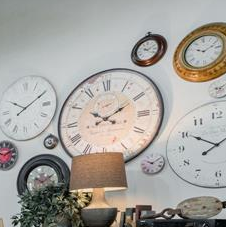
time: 1:50
